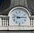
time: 9:14
